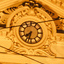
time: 7:32
